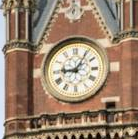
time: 9:05
